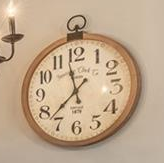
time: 11:37
